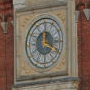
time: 12:19
